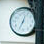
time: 12:34
